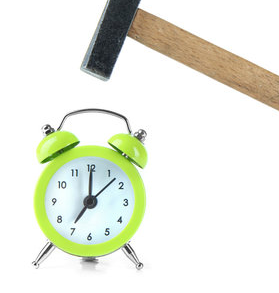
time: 7:00
